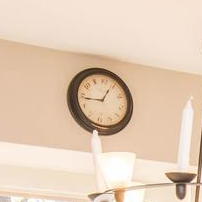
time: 12:43
